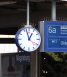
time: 12:57
